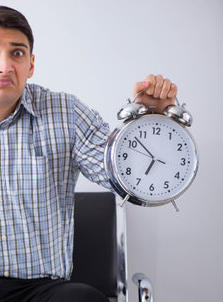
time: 6:52
